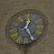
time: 12:24
